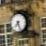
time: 7:25
